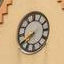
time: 7:40
